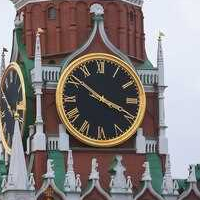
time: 3:51
